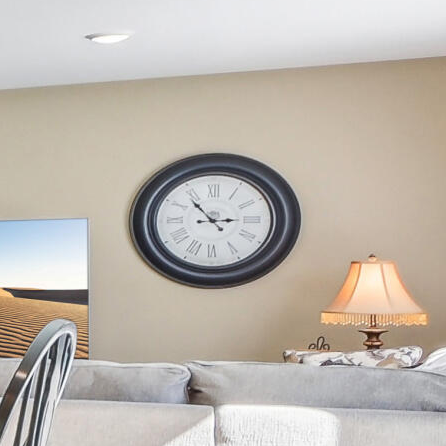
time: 2:53
